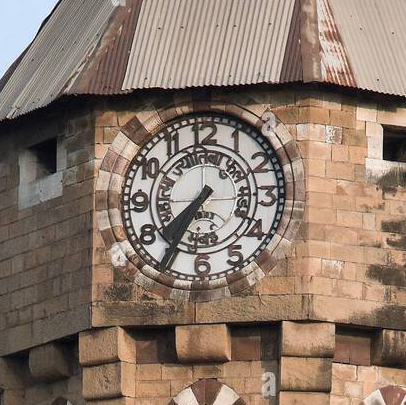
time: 7:35
